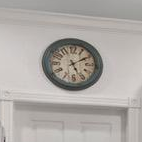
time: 5:09
